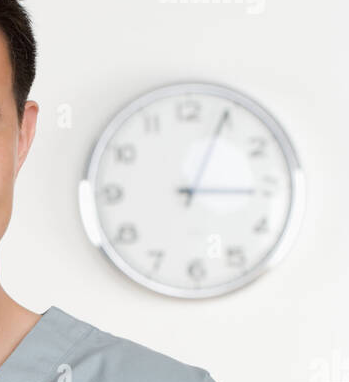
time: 3:04
